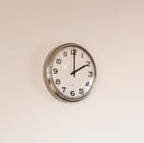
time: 2:00
